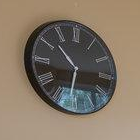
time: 10:31
